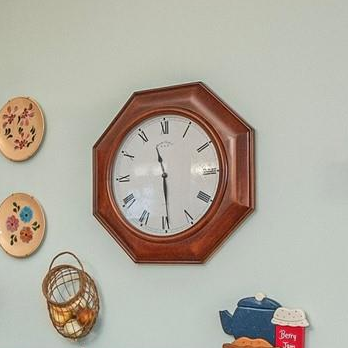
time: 11:29
